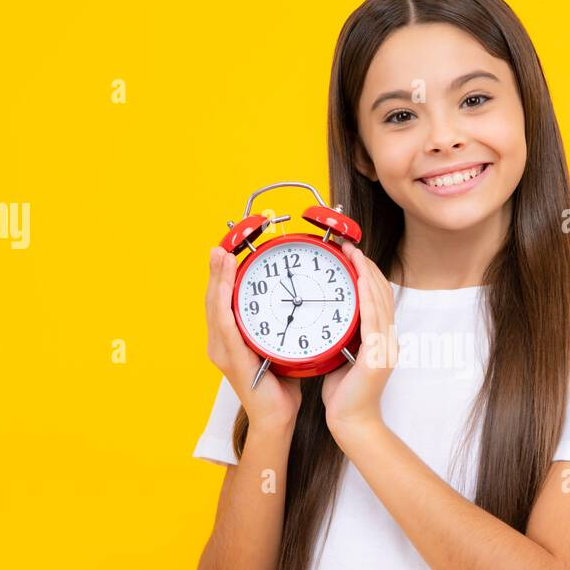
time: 6:59
